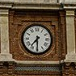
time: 7:29
